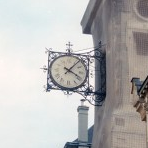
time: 4:07
